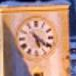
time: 5:20
